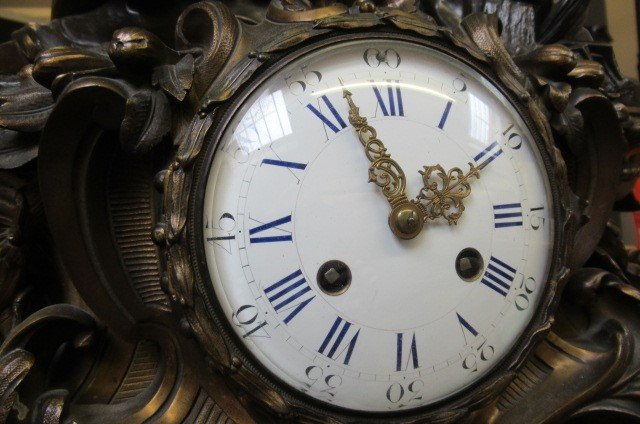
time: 1:56
